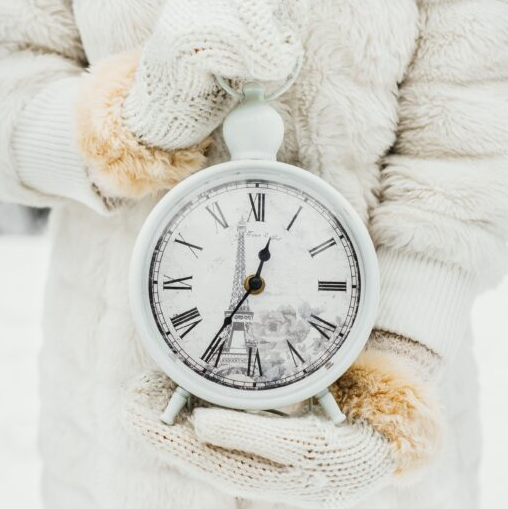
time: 12:35
